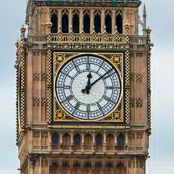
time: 12:08
